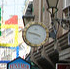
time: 3:47
